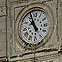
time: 10:56
